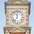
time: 11:36
